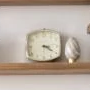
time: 3:20
